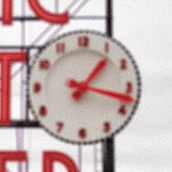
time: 1:17
